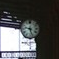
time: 9:27
